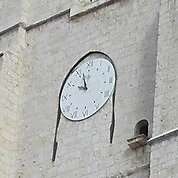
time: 9:57
